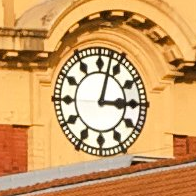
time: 3:02
